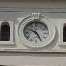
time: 10:25
